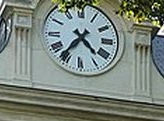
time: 4:36
